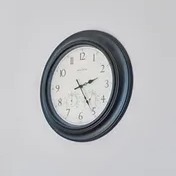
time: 2:25
